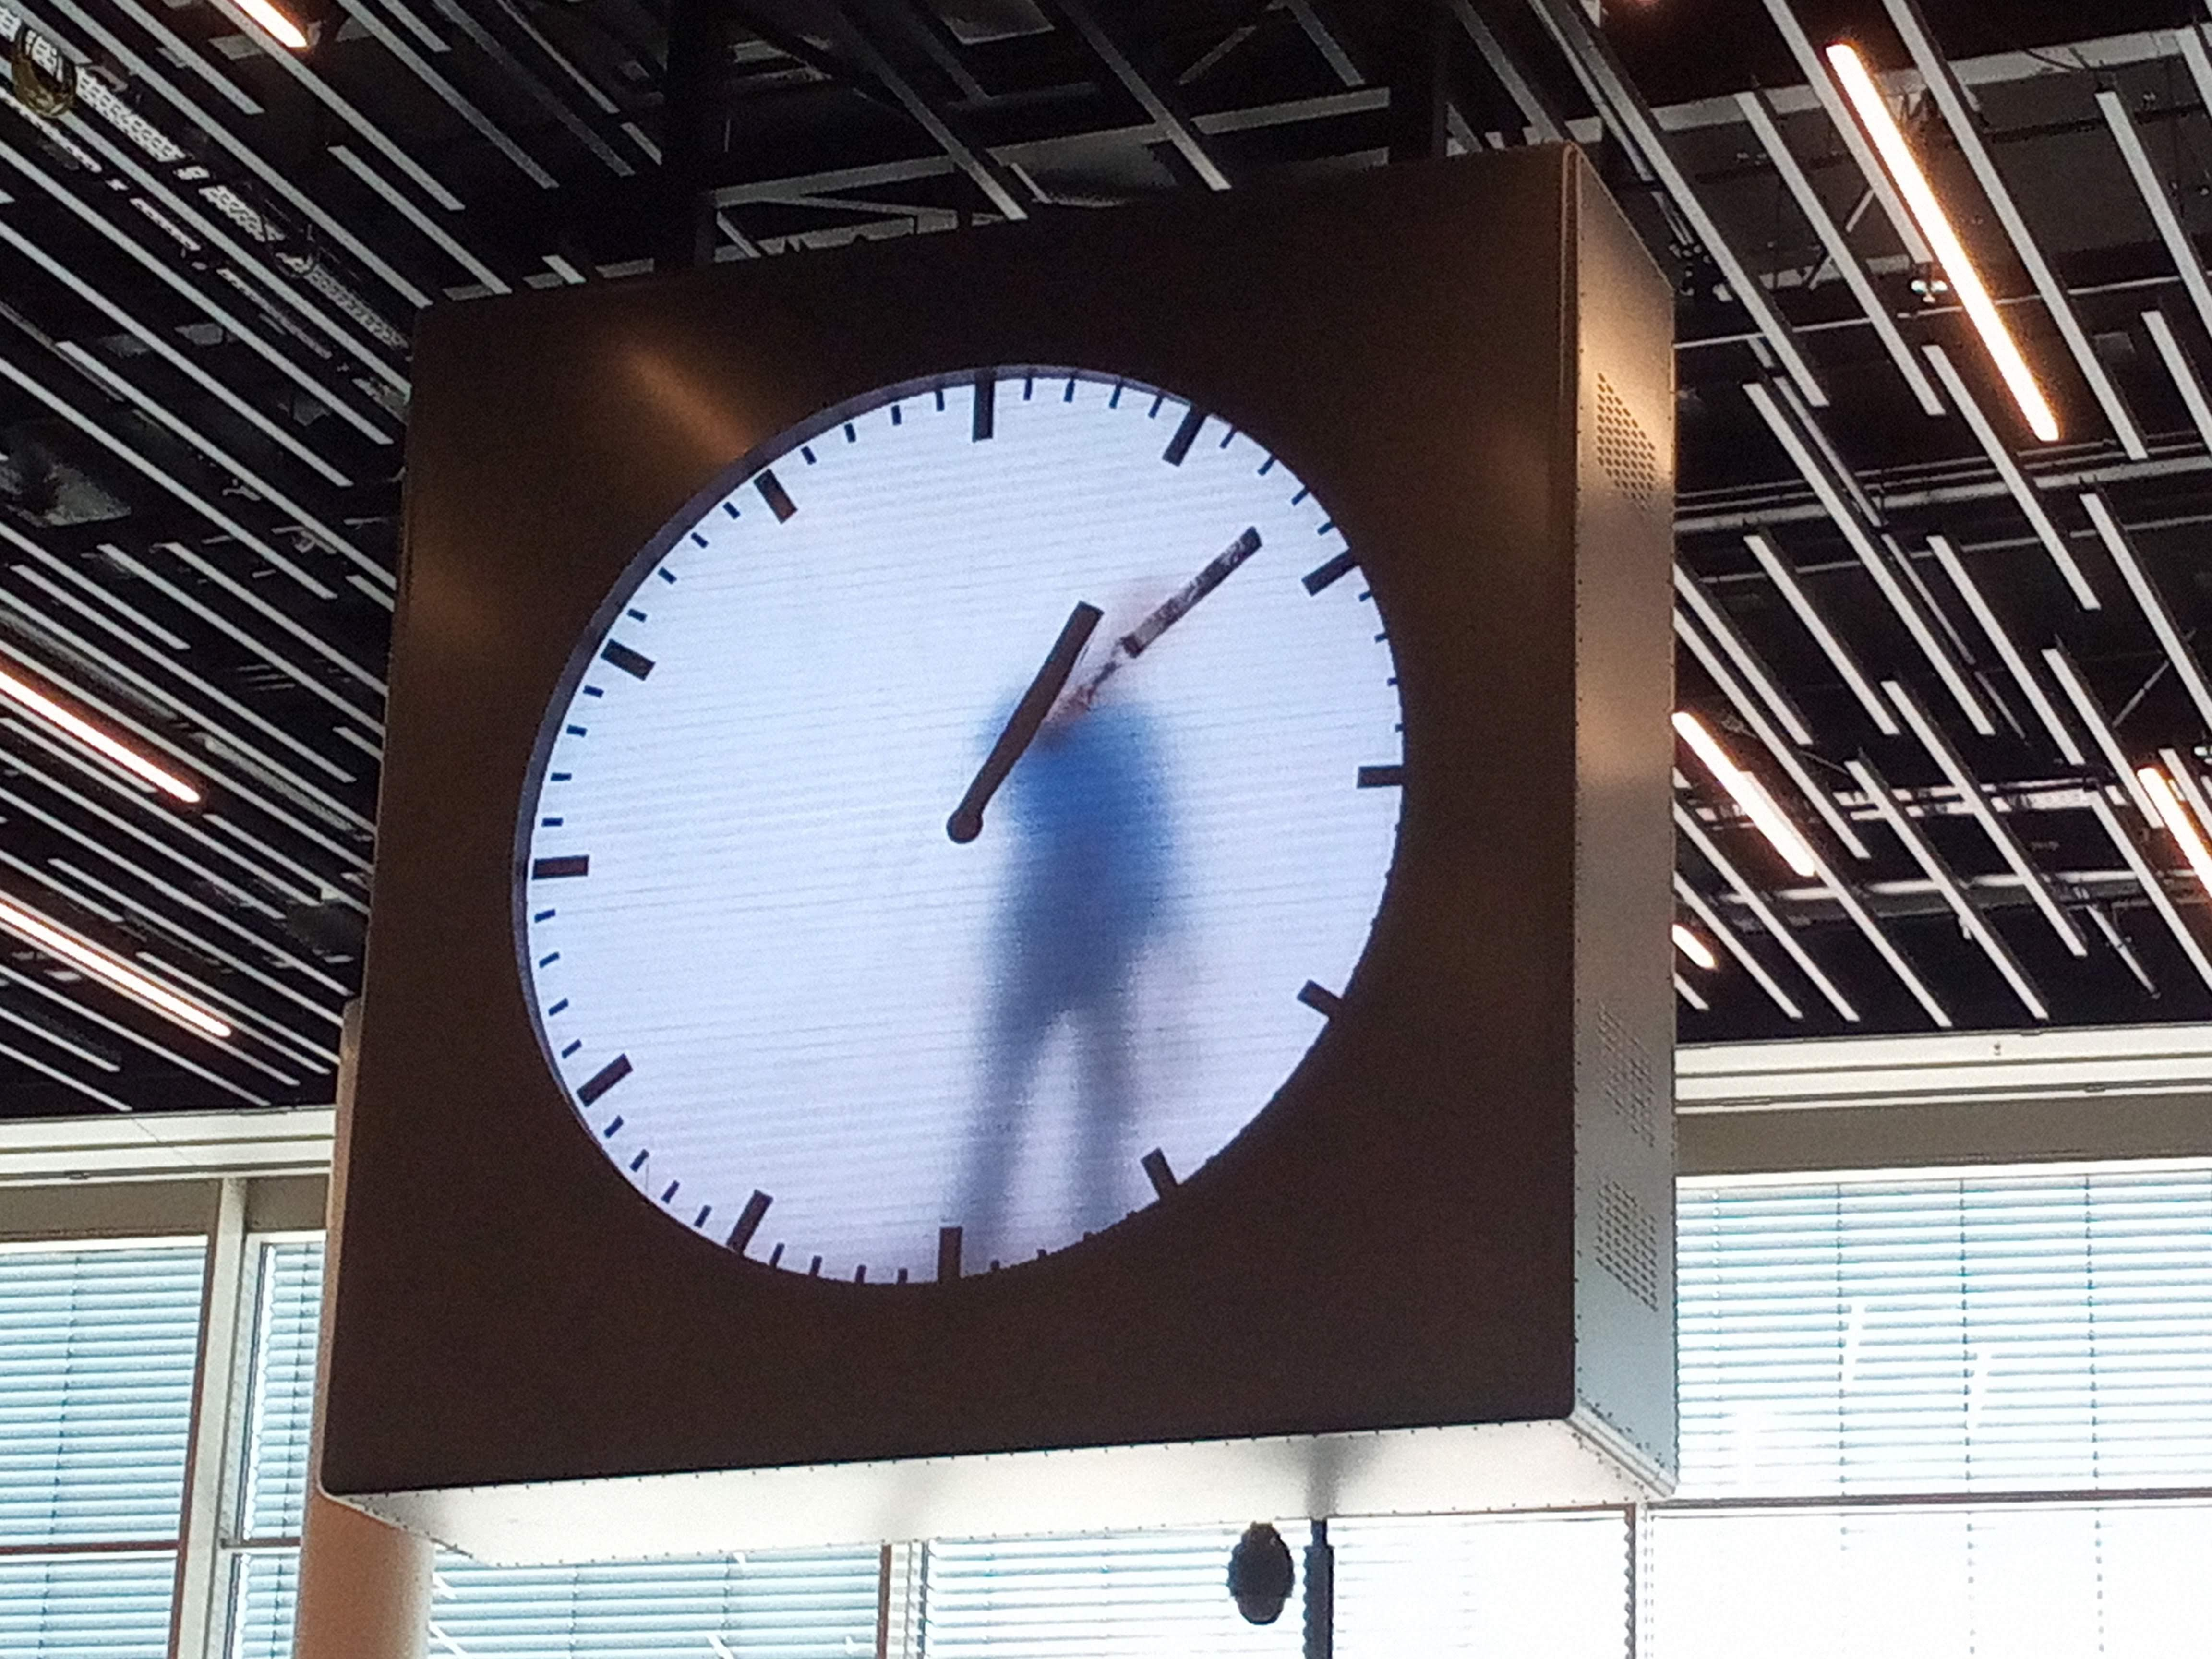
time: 1:08
